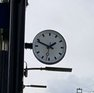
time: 1:48
